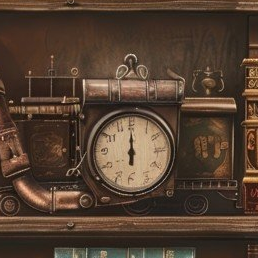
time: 11:59
